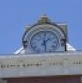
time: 1:28
